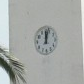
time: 12:02
